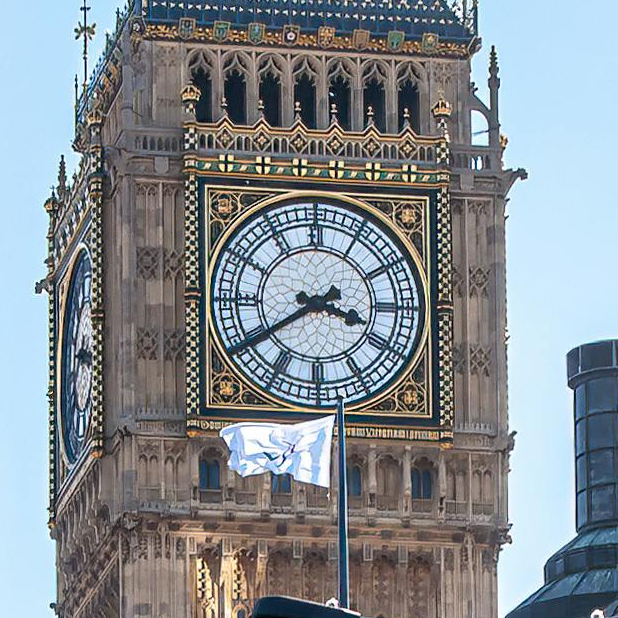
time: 3:39
